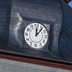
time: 12:06
